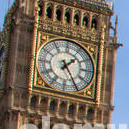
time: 1:24
